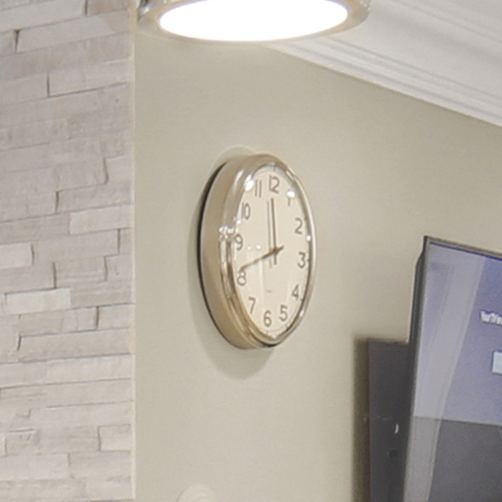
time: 11:41
